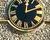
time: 12:11
